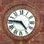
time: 4:45
